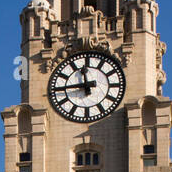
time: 11:44
